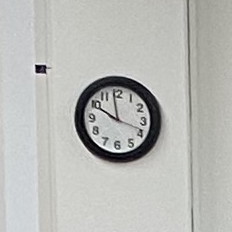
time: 9:58
